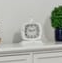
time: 9:12
